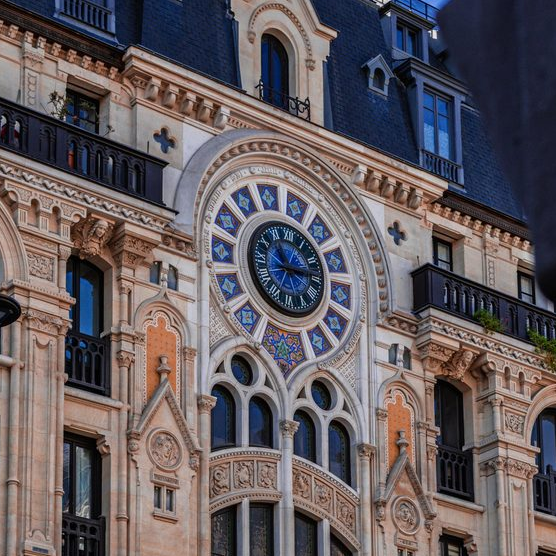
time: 11:14
